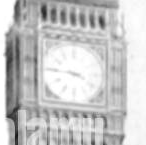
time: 3:45
